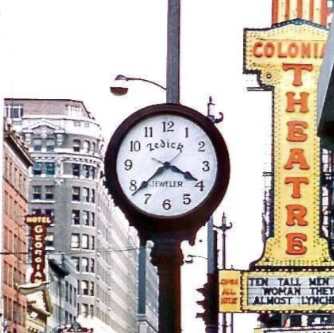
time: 3:38
